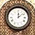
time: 12:08
